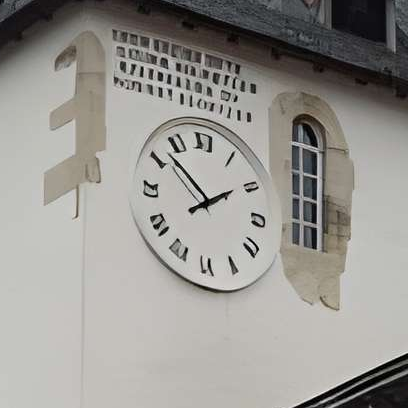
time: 1:52
